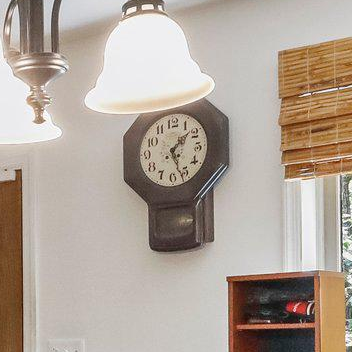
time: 1:26
